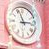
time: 2:56
